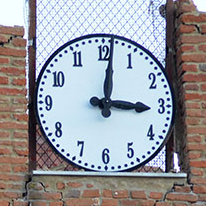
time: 3:01
